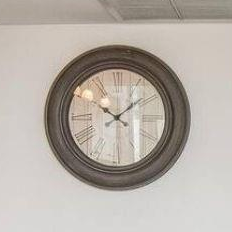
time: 10:07
